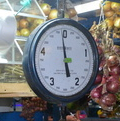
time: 5:59
